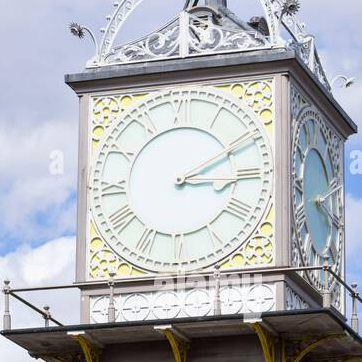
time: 3:11
